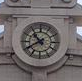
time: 10:39
